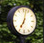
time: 7:02
